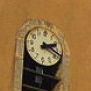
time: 2:18
